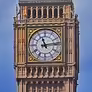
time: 11:13
